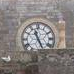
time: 11:25
